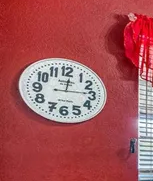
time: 12:14
